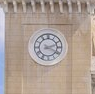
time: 2:19
